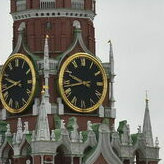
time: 9:42
